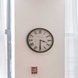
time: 3:30
